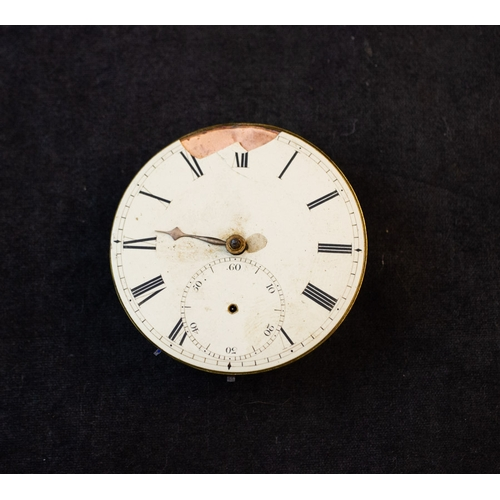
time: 8:46
